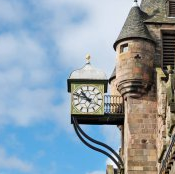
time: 10:48
